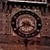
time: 3:40
